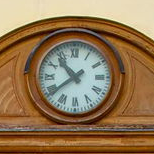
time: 10:39
